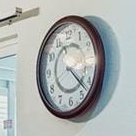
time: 4:22
